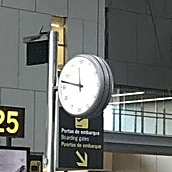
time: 11:47
